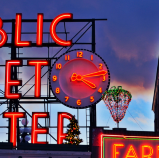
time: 4:13
